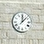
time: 12:07
